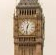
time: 12:32
